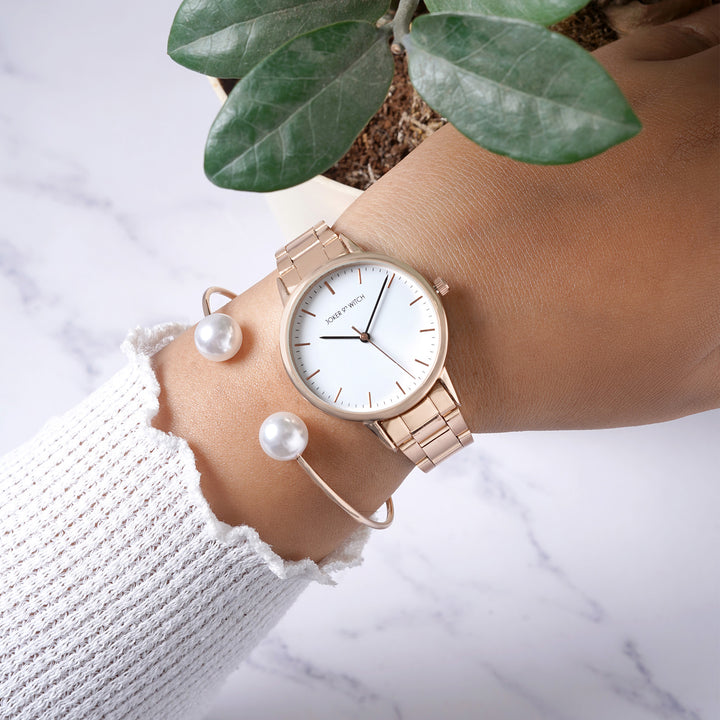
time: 9:04
